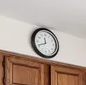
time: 11:41
